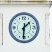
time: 1:30
